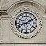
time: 8:09
